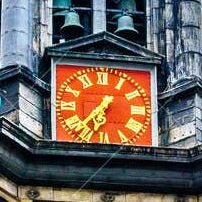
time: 6:37
